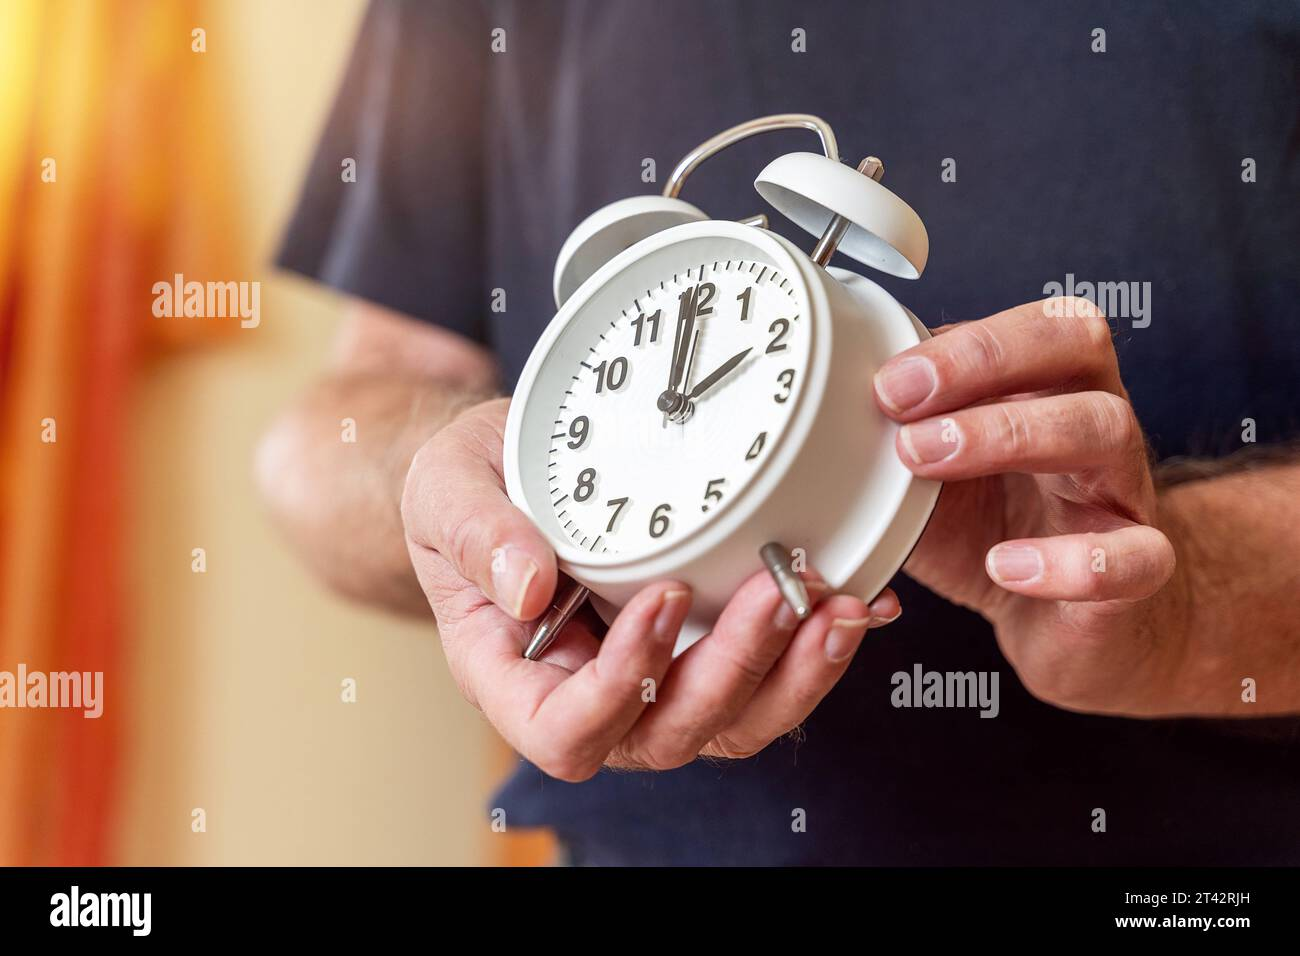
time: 2:00
